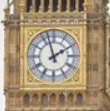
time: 1:57
